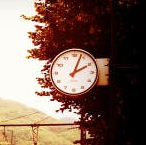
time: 2:03
